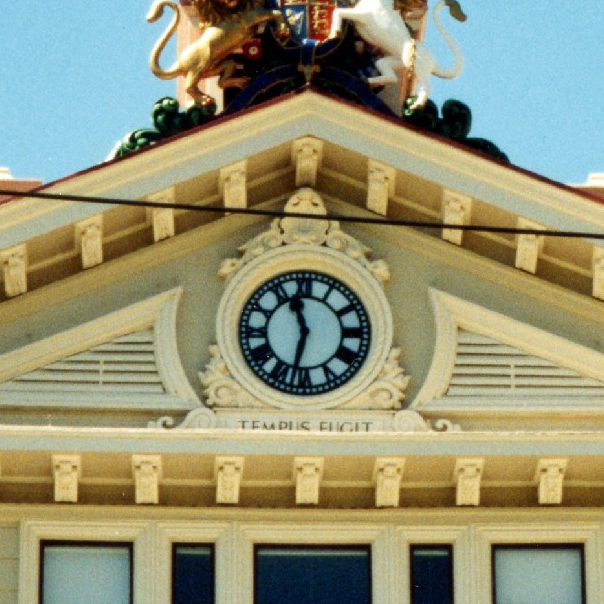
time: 11:32
